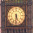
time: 5:31
